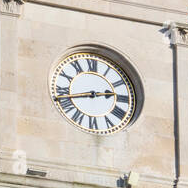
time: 2:42
